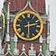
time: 2:29
